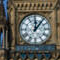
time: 12:06
